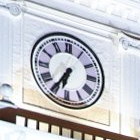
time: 6:36
